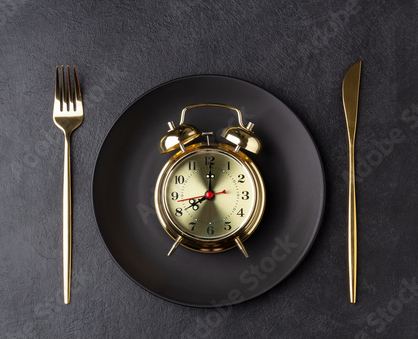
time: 8:01
